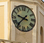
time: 9:37
